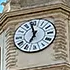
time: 6:58
